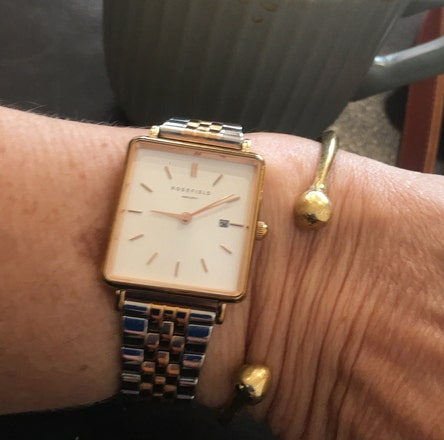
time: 9:10
